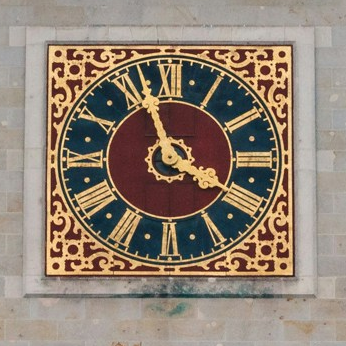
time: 3:56
